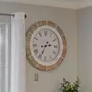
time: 2:34
